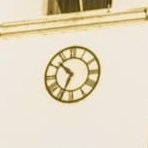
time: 10:34
